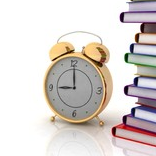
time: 9:00
